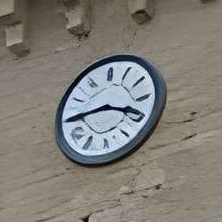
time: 3:44
